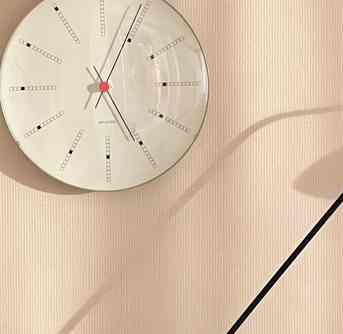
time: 5:04
